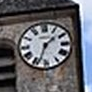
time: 1:33
